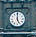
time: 5:00
